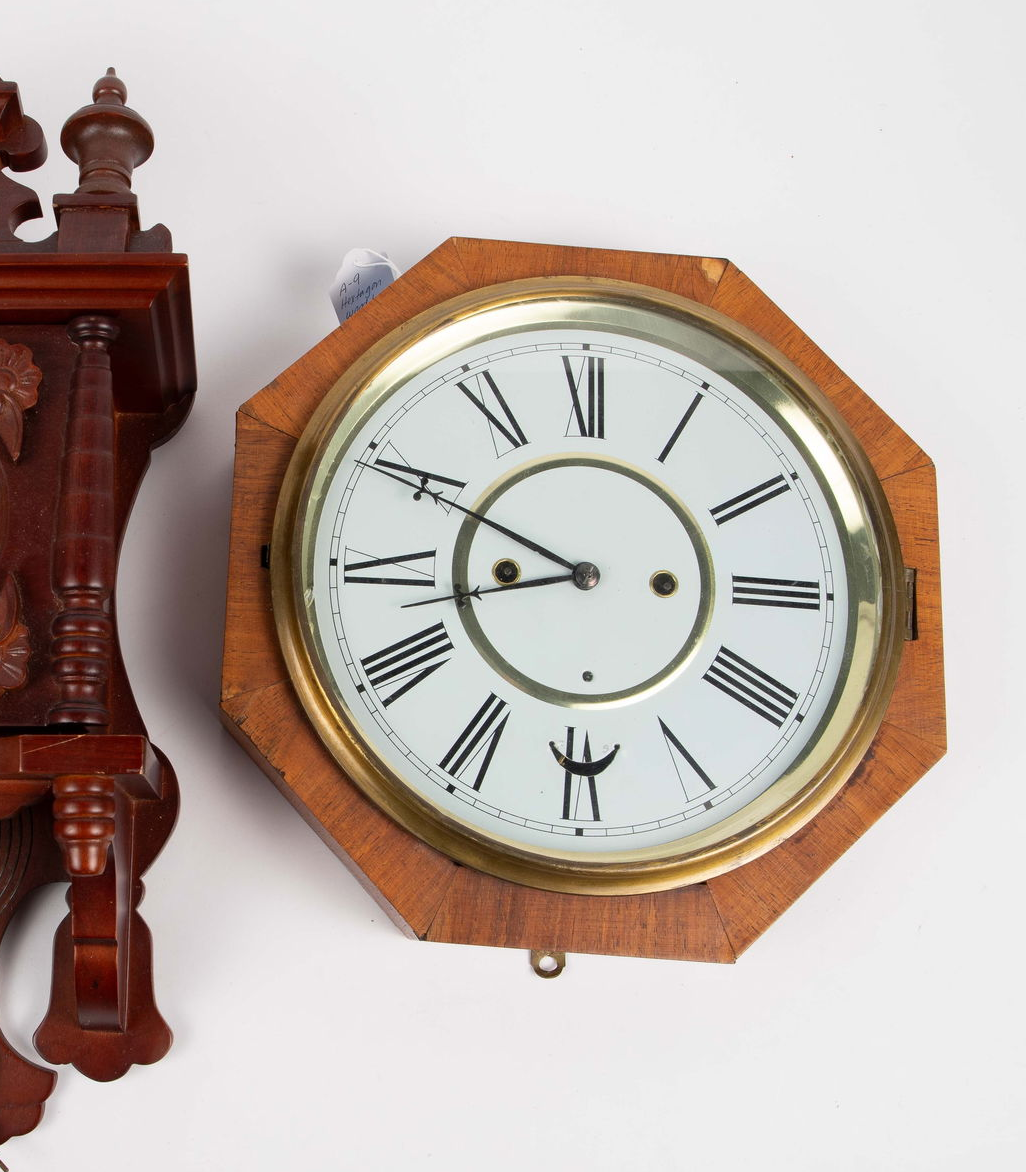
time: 8:49
